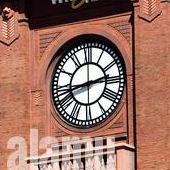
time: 2:42
